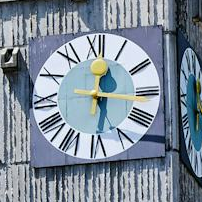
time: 12:16
